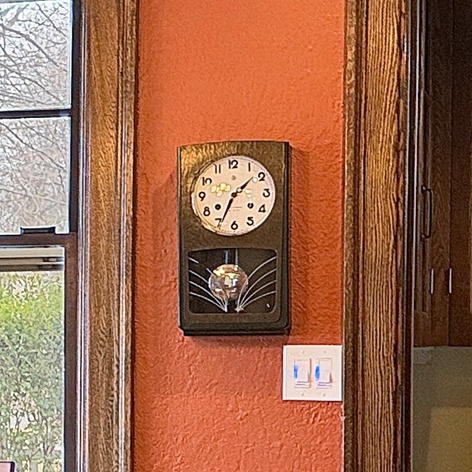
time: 1:34
